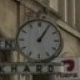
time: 1:05
